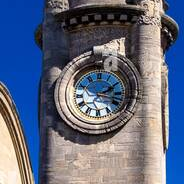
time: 2:18
